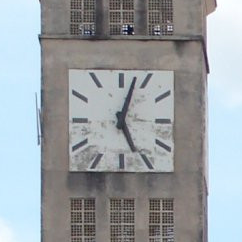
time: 5:03
